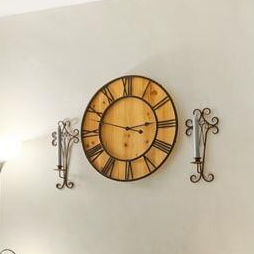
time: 2:48
